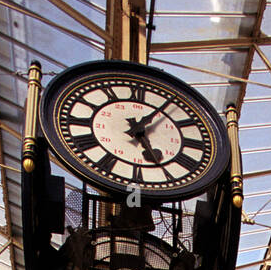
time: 5:06
